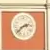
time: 2:38
